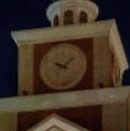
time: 10:08
